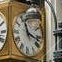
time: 11:17
